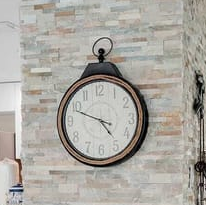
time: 4:48
